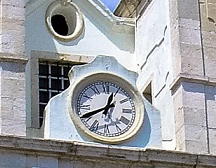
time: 12:40
